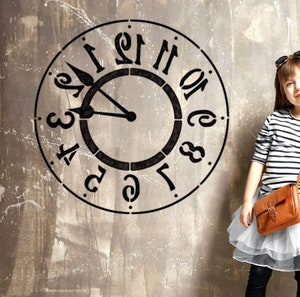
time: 8:51
